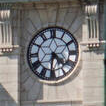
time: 4:31
